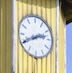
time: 2:40
